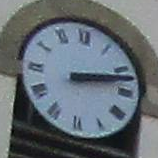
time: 2:12
